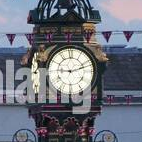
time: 9:12
